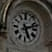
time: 5:12
